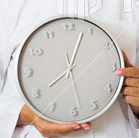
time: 8:03
